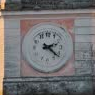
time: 2:21
